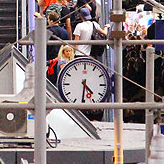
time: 4:31
